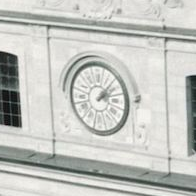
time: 2:07
